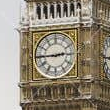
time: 2:45
